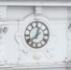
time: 12:38
